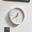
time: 12:38
